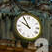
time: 9:54
